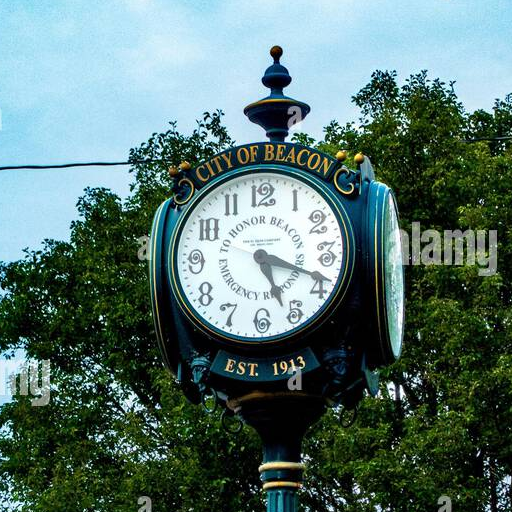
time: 5:18
